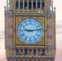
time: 9:13
